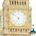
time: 6:51
